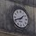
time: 1:41
